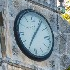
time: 7:06
